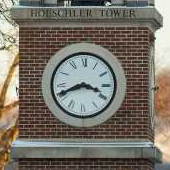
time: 3:41
